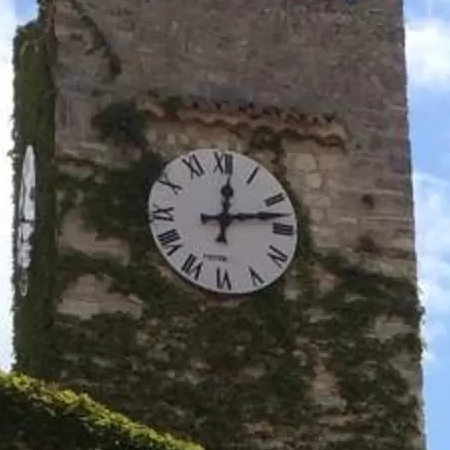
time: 12:12
